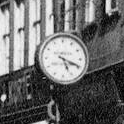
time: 5:18
